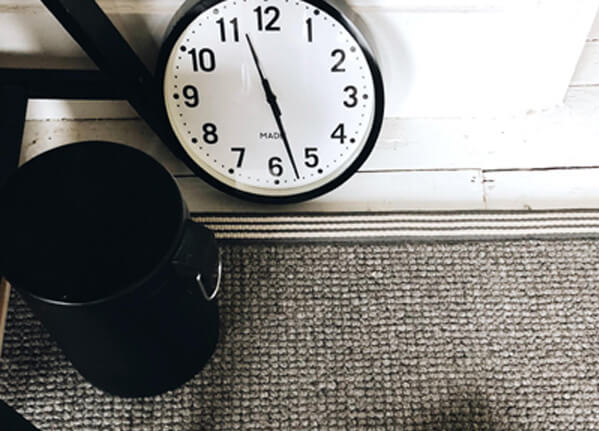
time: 11:27
